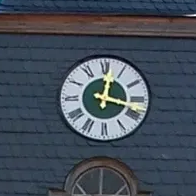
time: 12:18
